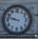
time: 9:47
